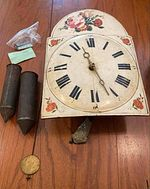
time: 11:25
